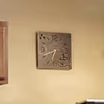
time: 6:41
